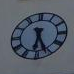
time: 6:26
